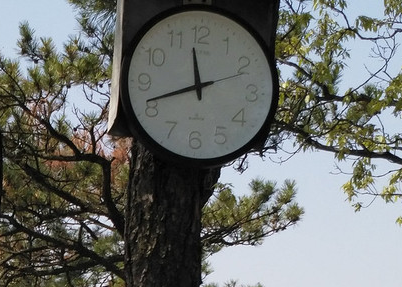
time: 11:41
